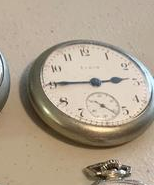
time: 2:45
